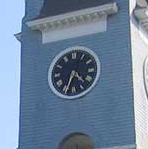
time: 4:34
